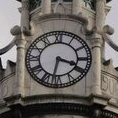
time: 3:32
